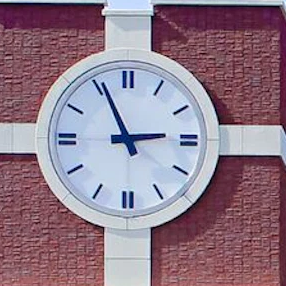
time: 2:55
